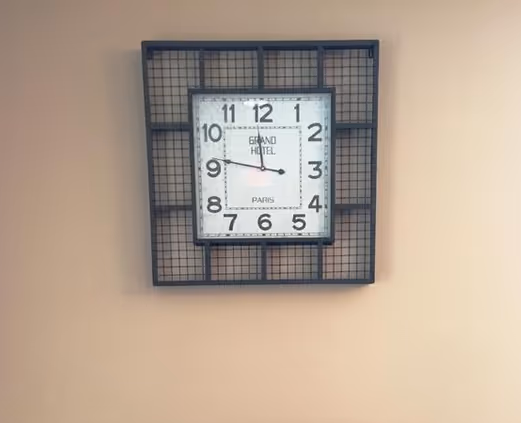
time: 11:46
